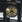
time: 3:40
